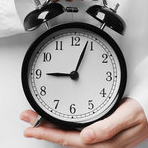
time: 9:03
